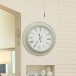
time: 11:35
